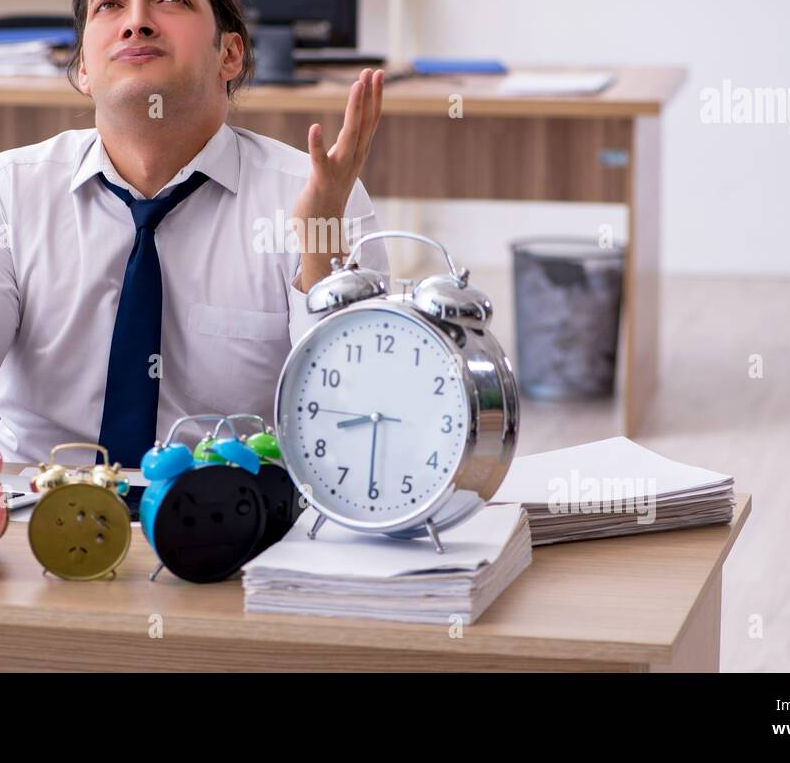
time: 8:30
